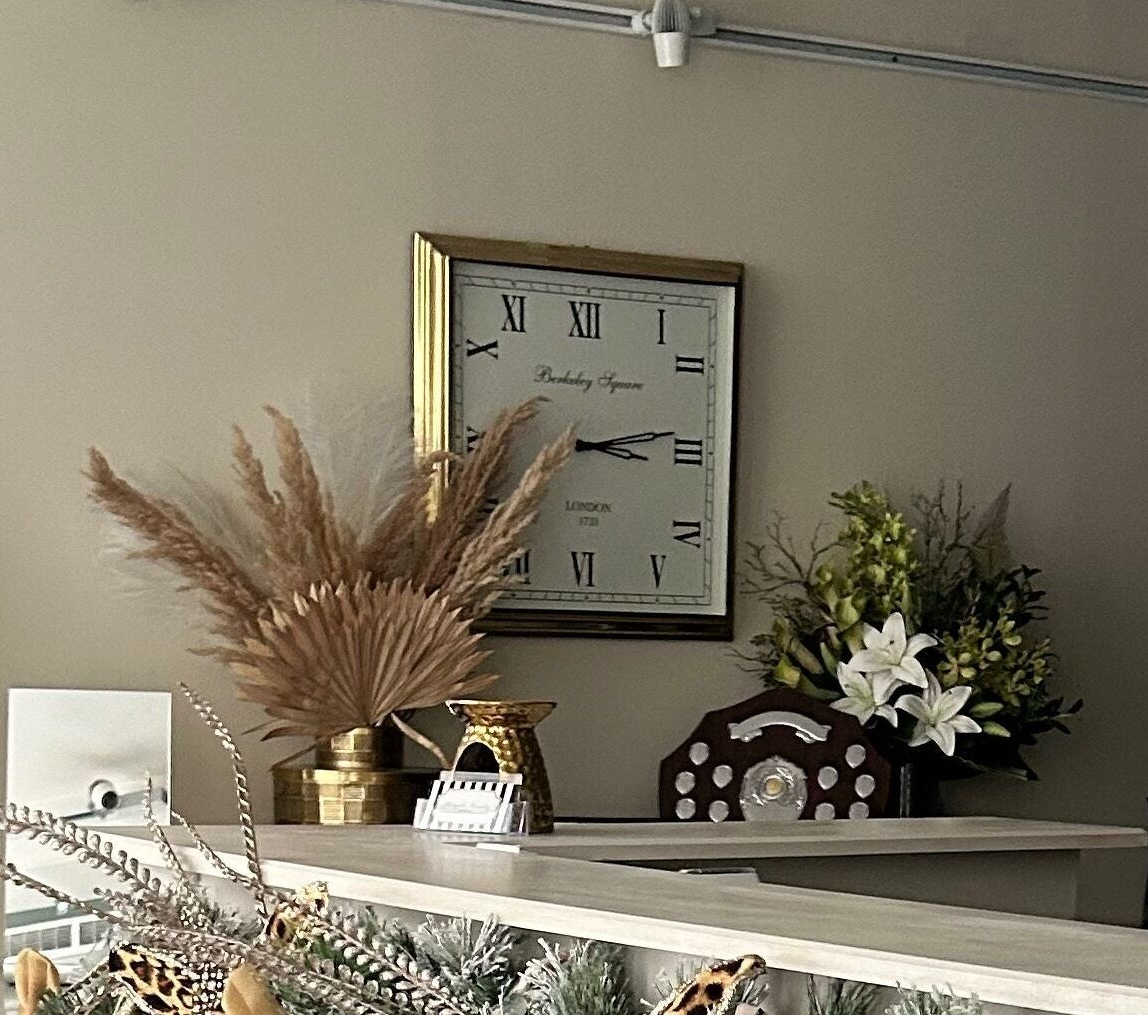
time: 3:13
